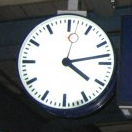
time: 4:13
